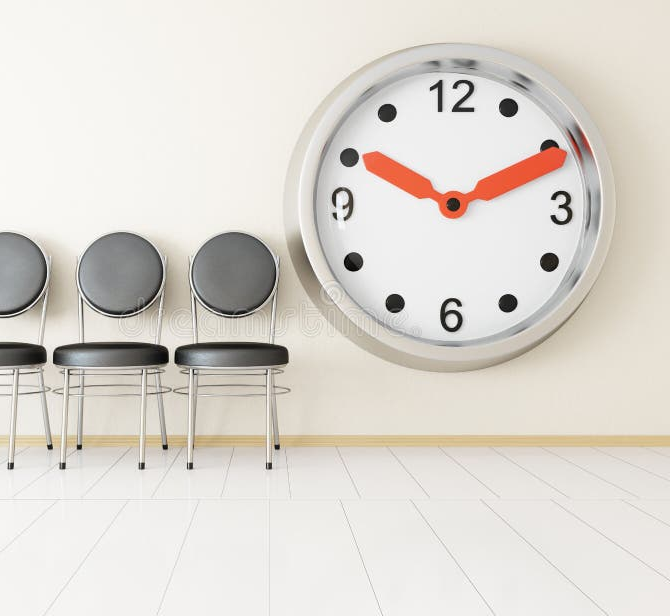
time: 10:11
